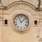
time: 11:07
